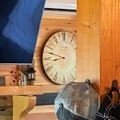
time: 8:47
